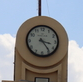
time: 3:23
